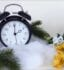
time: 2:00
